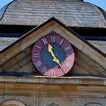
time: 11:24
